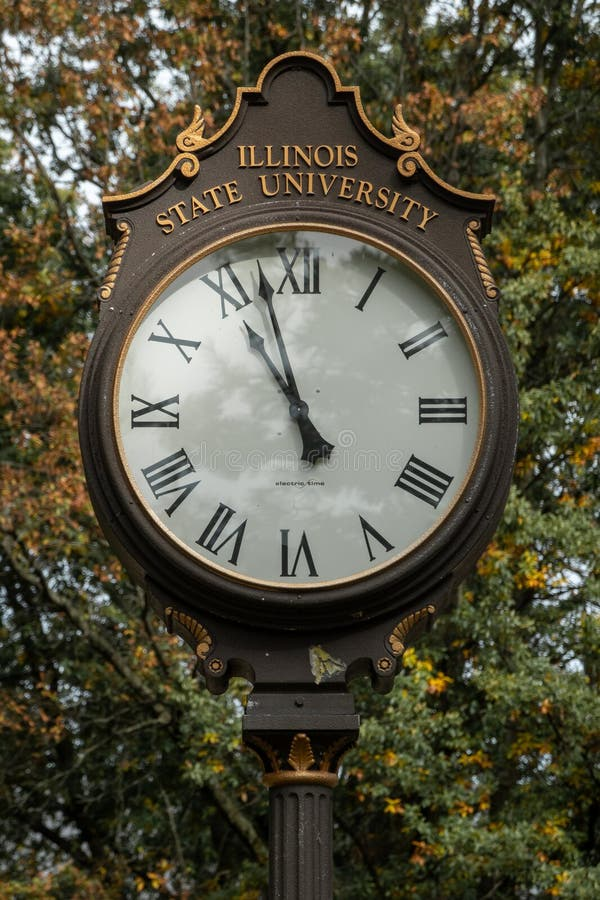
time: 10:57
